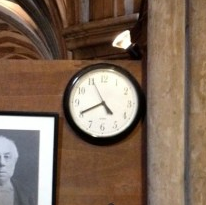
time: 4:40
